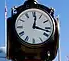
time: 12:17
